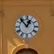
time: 12:53
